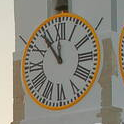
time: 11:53
